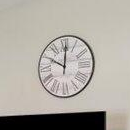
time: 10:00
